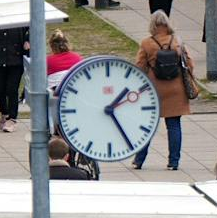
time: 1:24
